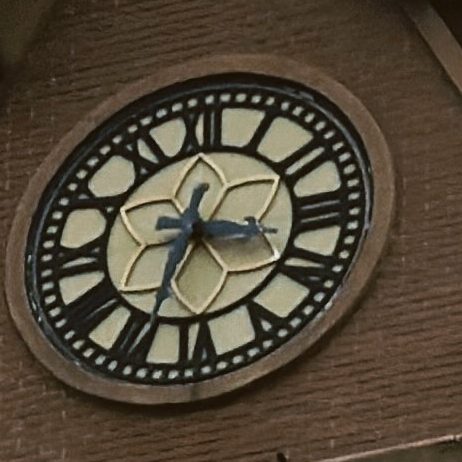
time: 3:32
